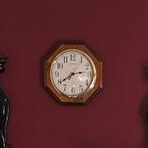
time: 2:39
